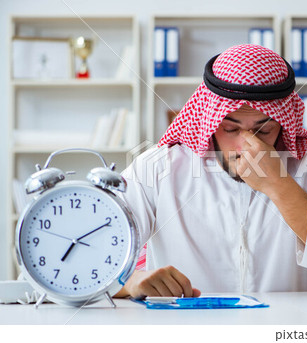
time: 7:10
